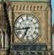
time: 6:43
